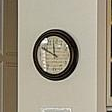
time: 11:49
